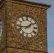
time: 1:43
